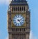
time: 2:23
